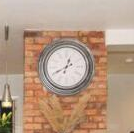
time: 12:40
